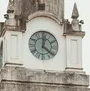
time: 12:21
